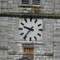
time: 9:36
